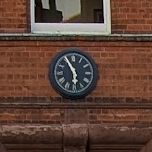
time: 5:55
